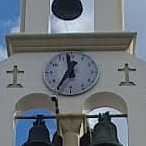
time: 11:35
